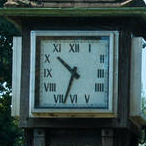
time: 10:33
